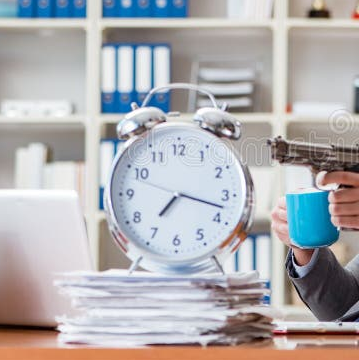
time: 7:17
